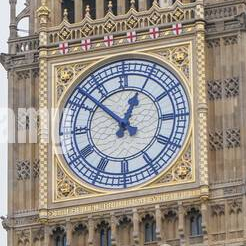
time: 12:52
